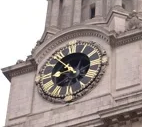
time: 8:52
